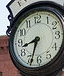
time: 8:33
